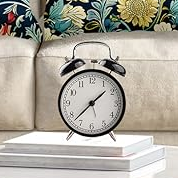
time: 1:37
